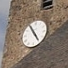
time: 4:54
